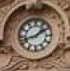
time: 1:42
